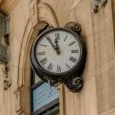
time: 11:54
